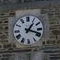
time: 1:18
